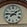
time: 1:46
